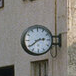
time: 2:39
